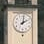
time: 2:01
